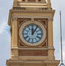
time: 12:05
